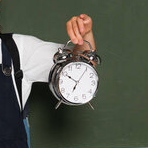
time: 6:50
